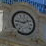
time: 1:46
